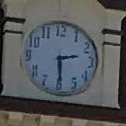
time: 2:29
